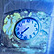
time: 7:37
